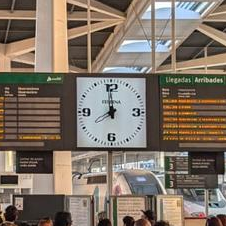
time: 7:59
